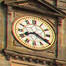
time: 8:20
